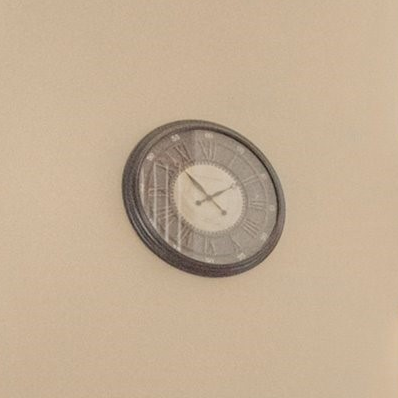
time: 1:52
